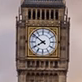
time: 7:51
